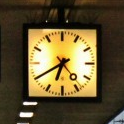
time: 6:40
